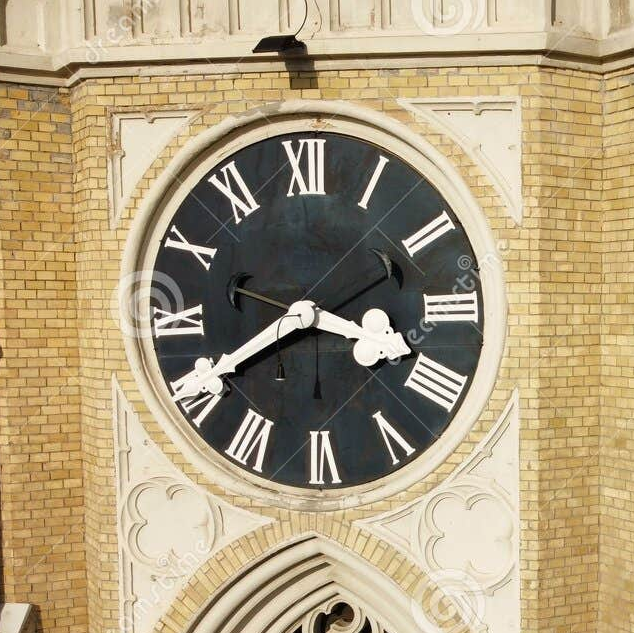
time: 3:40
